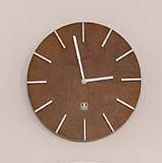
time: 2:58
